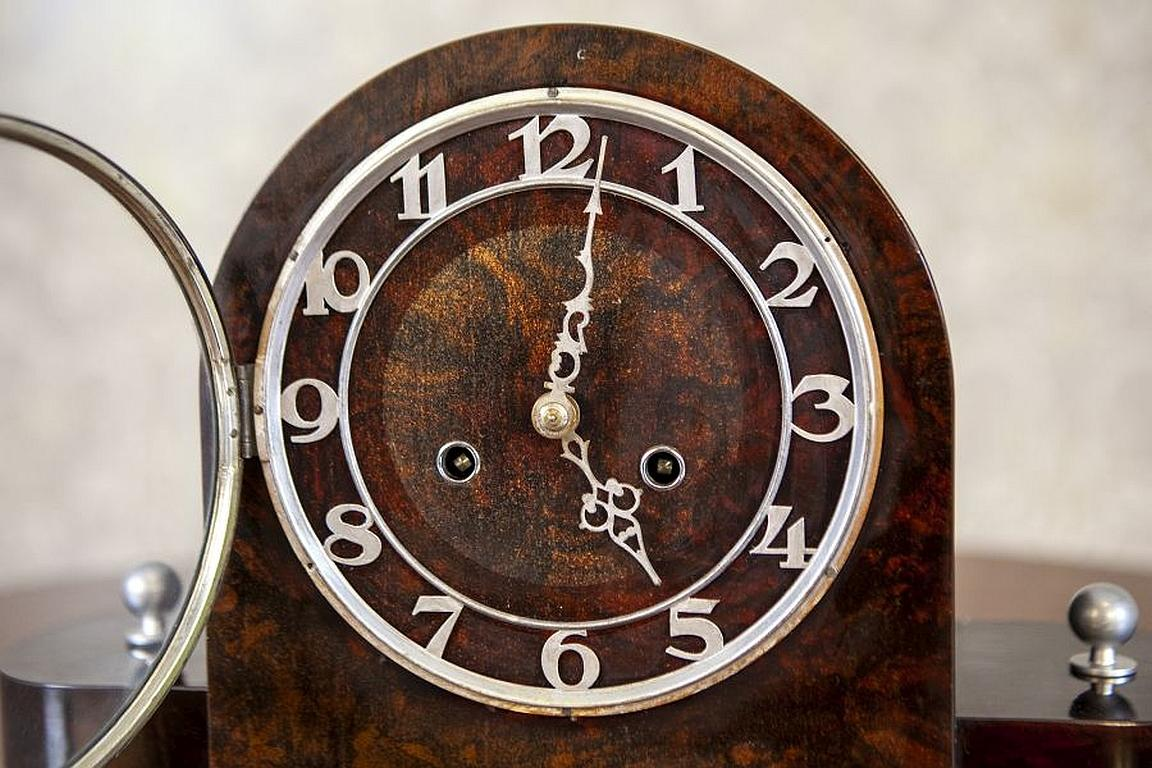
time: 5:01
